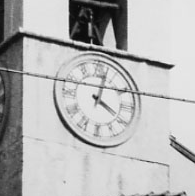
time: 4:02
